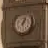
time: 12:28
